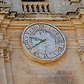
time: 9:39
